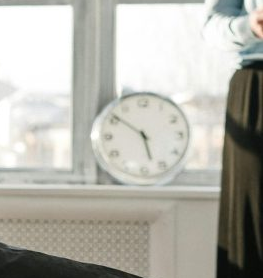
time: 5:51
